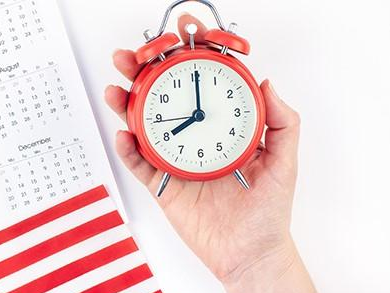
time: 8:00
